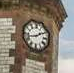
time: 1:42
